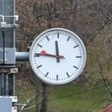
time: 11:46
